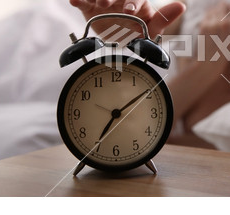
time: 7:09
